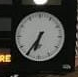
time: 6:35
